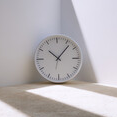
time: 10:07
